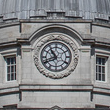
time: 10:41
